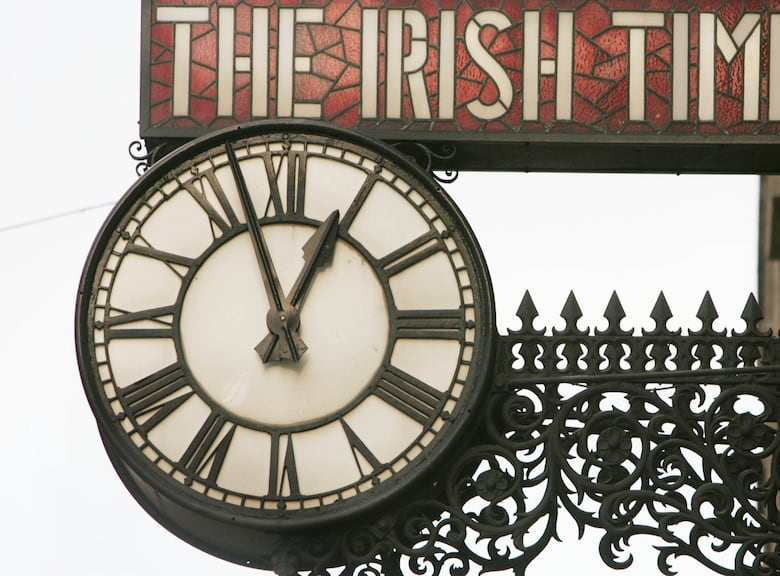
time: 12:57
